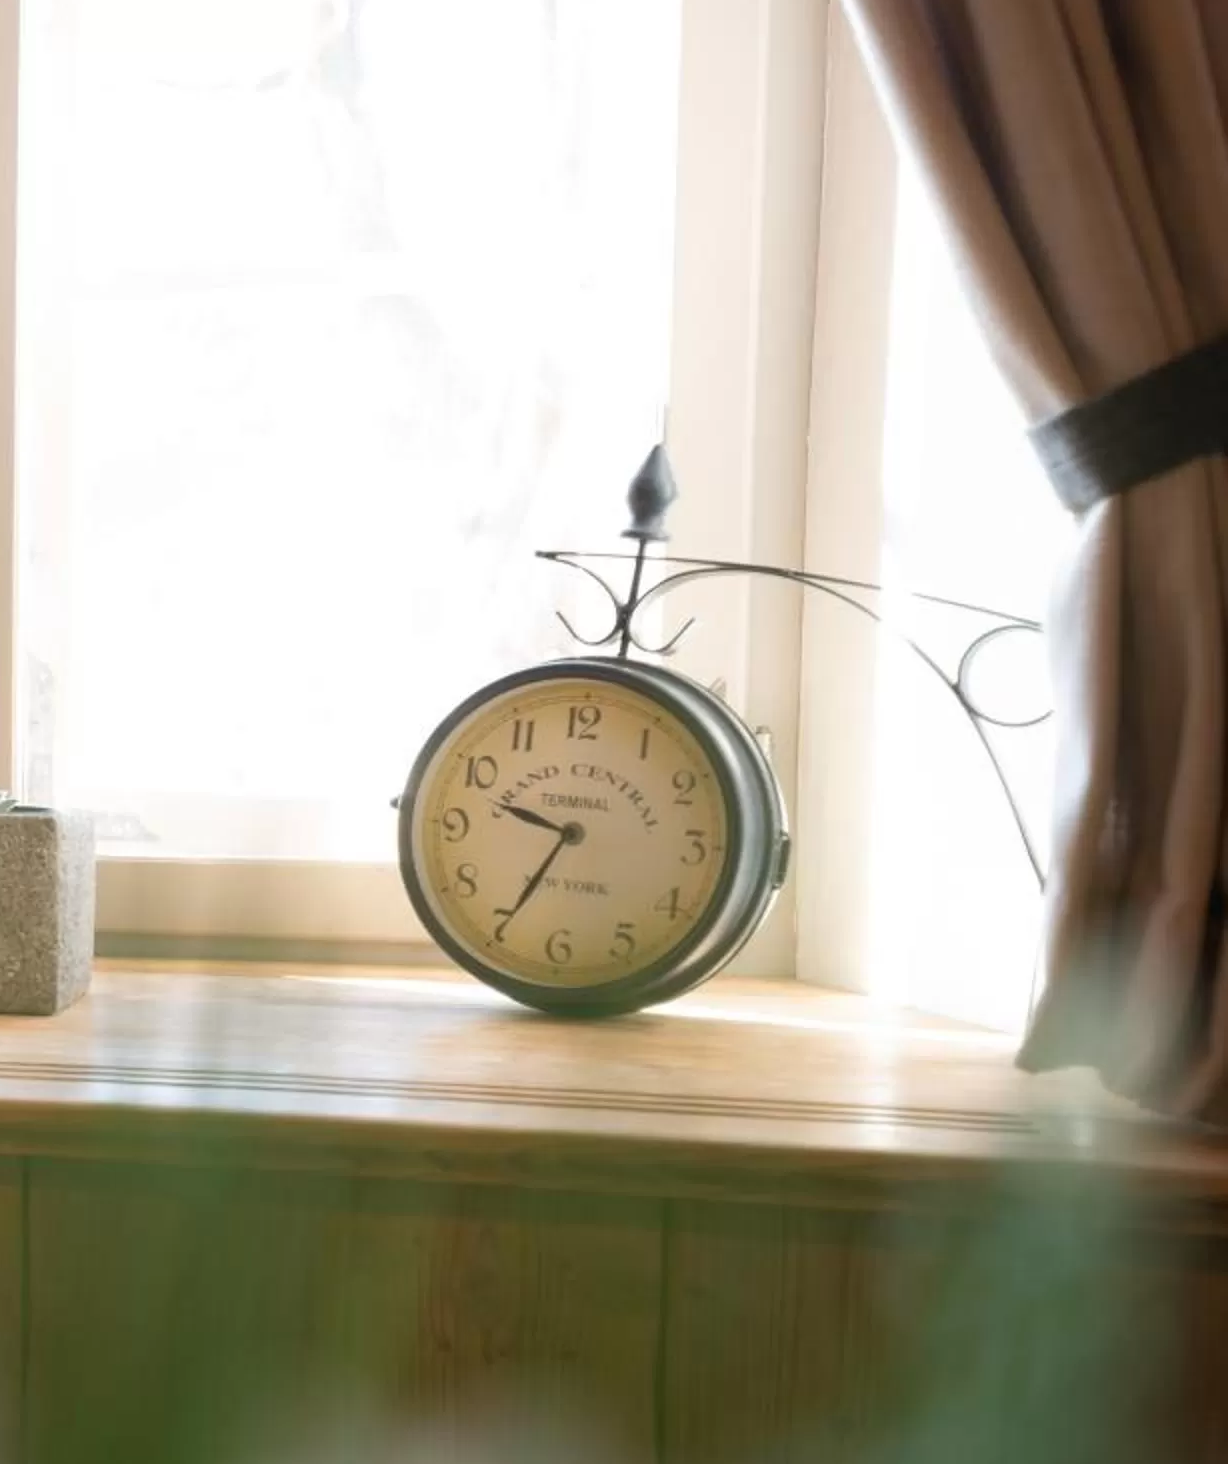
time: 9:35
